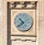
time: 10:38
